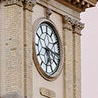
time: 5:15
